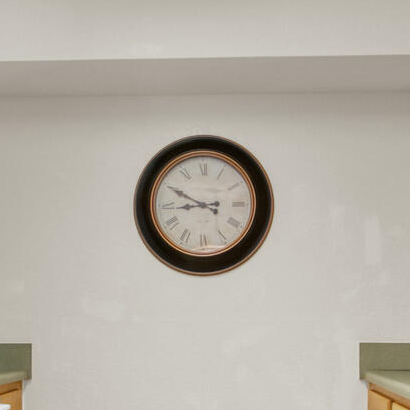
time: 8:49
